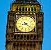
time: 8:21
